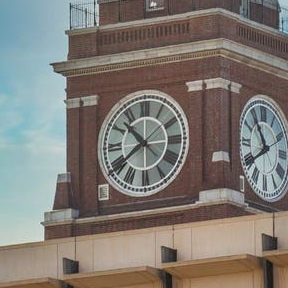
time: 10:39
